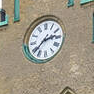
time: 2:38
